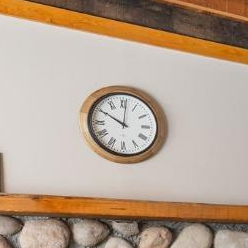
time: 10:00
